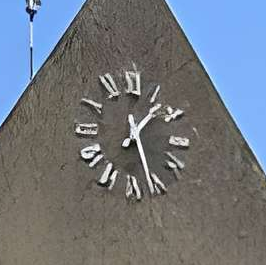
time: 1:26
